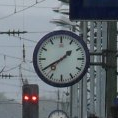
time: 1:39
